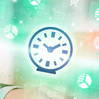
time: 1:49
